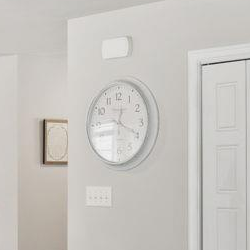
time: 12:19
